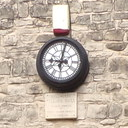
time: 9:01
